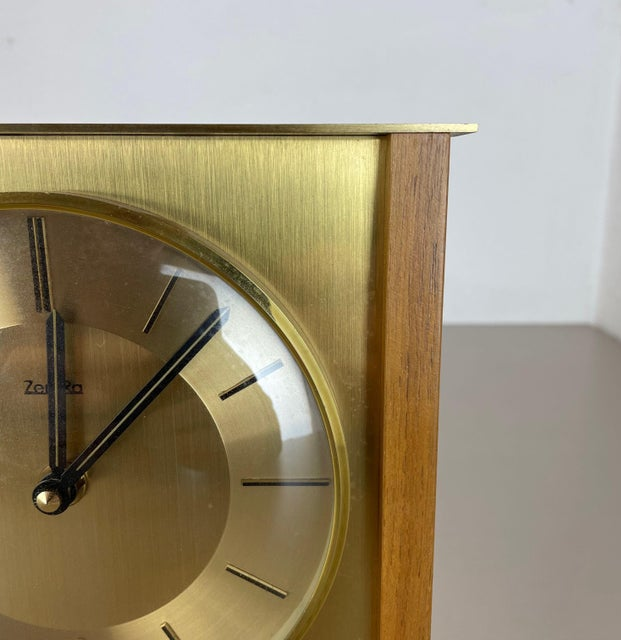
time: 12:07
